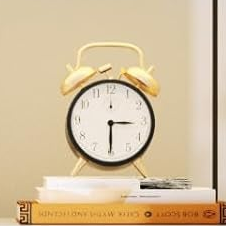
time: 3:30
